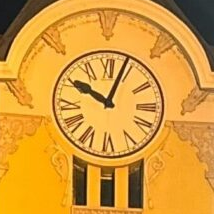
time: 10:03
